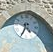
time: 4:34
